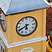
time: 5:40
